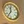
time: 11:35
